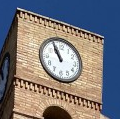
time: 10:56
